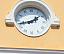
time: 1:42
